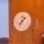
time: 7:07
